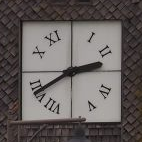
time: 2:40
